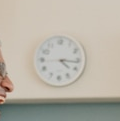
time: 4:16
